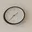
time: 1:36
